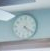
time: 4:20
